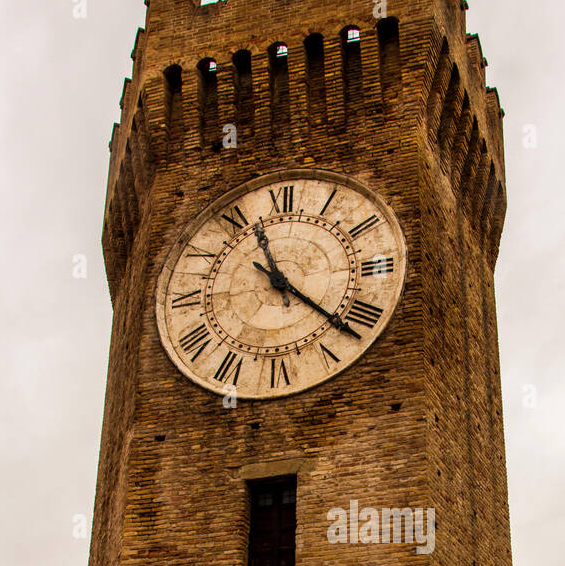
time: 11:21
